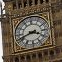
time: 3:41
